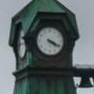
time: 4:18
